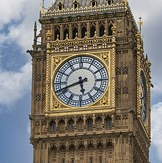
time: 5:41
